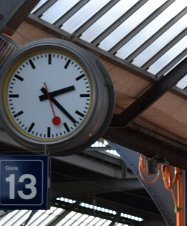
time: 2:22
